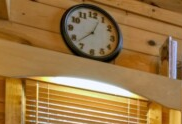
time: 12:37
